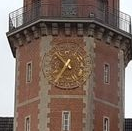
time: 10:35
